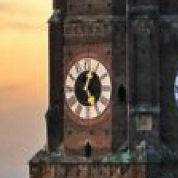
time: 5:03
